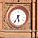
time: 5:36
